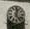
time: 12:23
